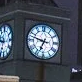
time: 6:47
